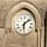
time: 6:08
